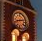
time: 8:12
